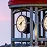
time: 8:07
